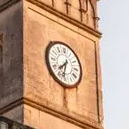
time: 7:32
